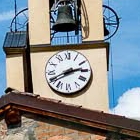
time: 2:40
